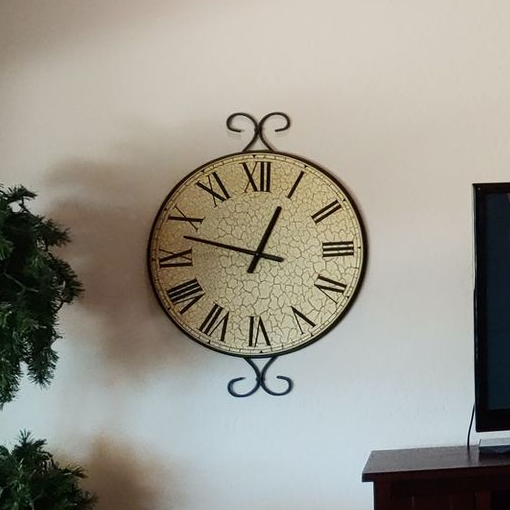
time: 12:47
